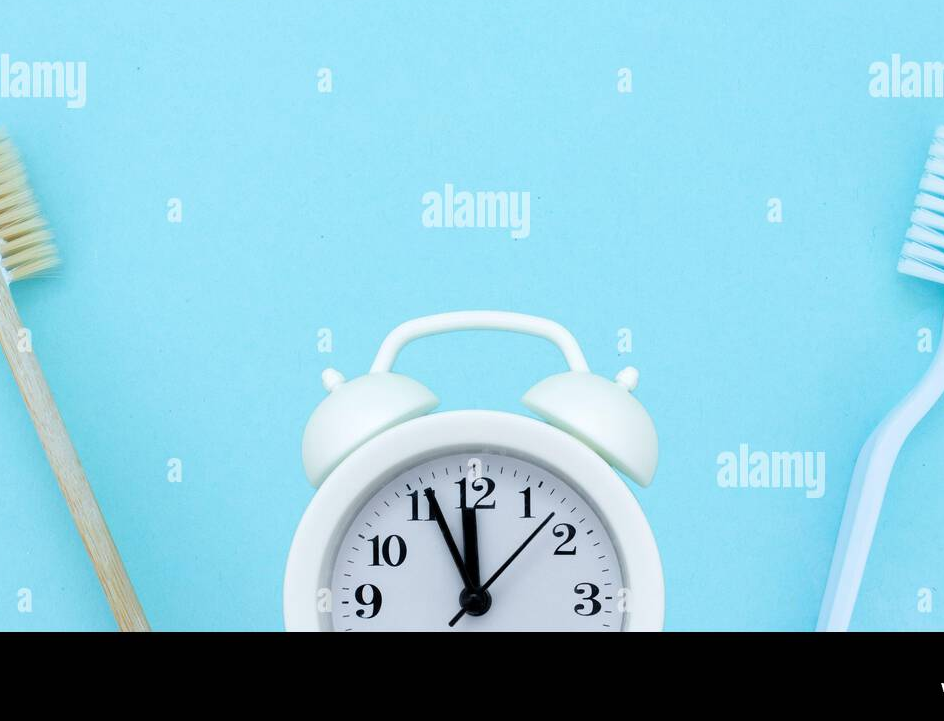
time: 11:56
